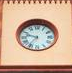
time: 9:36
